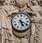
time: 5:18
